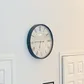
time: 6:45
